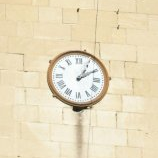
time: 1:09
